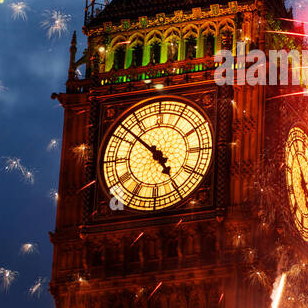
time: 4:51
